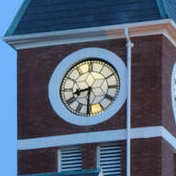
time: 8:30
